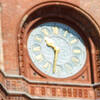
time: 9:31
